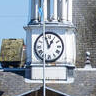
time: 12:56
